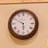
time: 5:49
